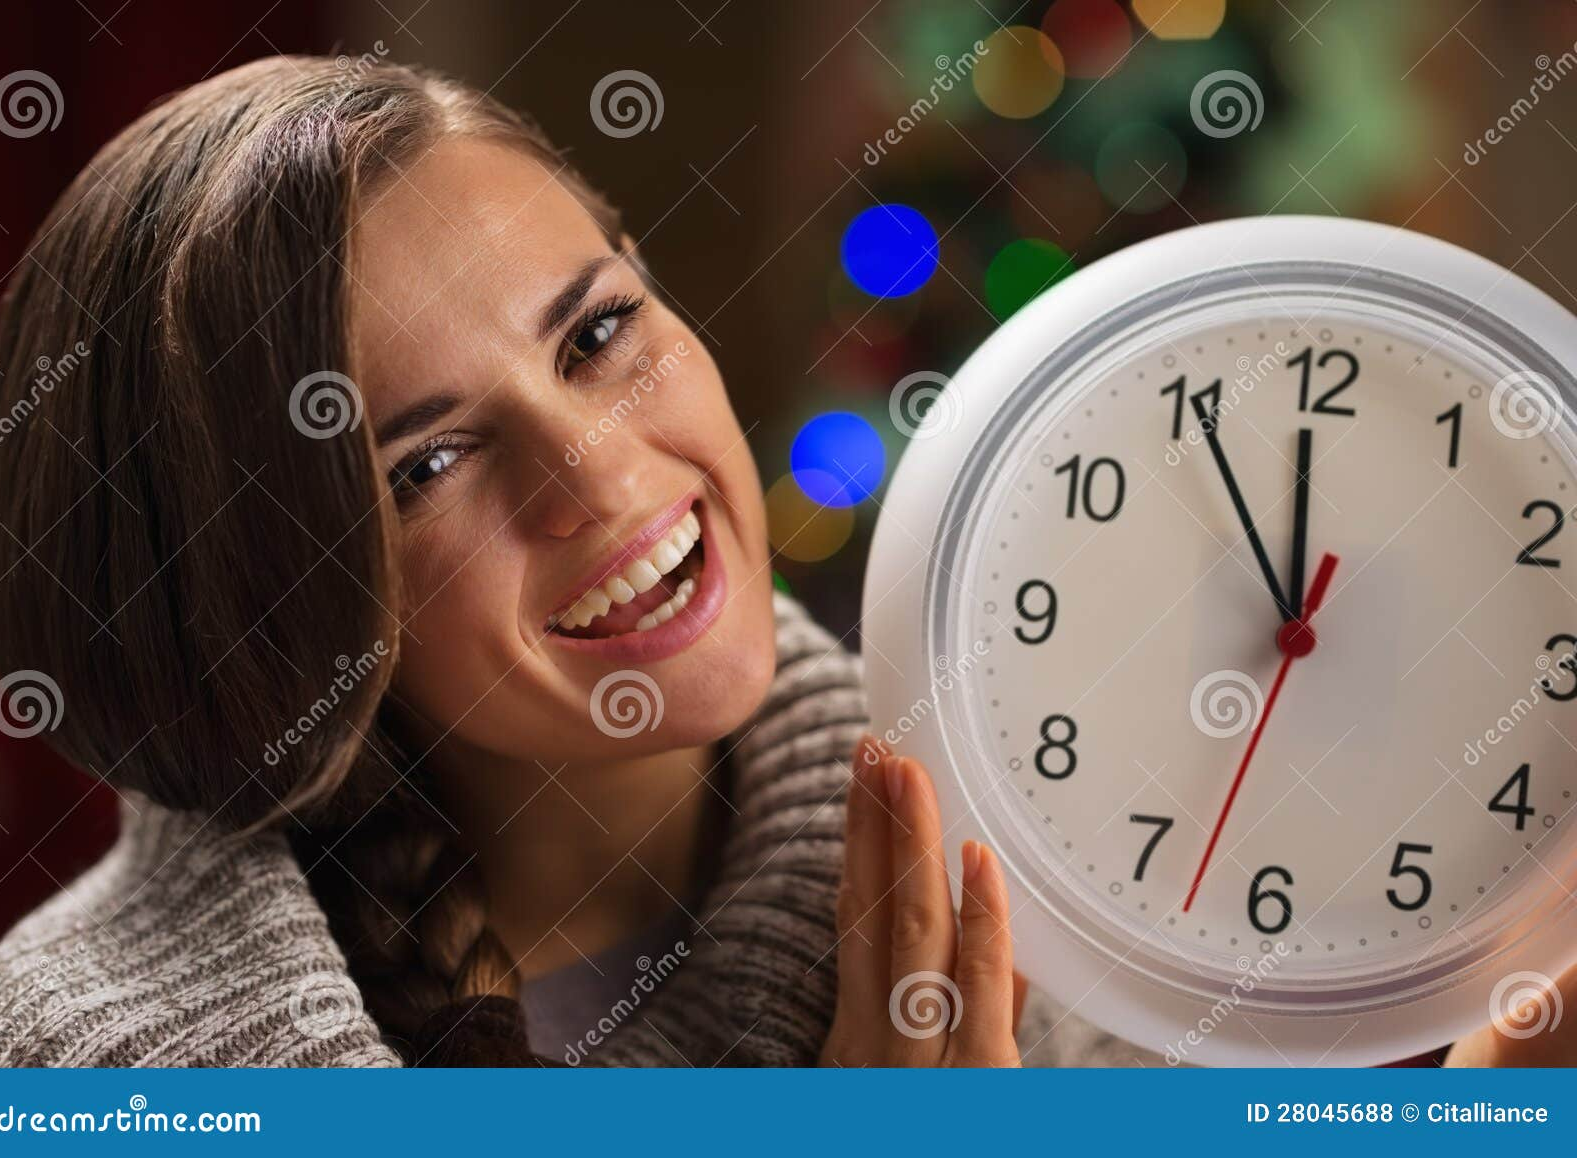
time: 11:55
